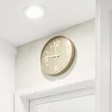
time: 11:46
